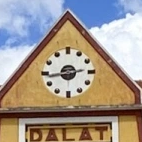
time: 2:43
